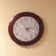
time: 4:13
